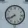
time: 7:40
